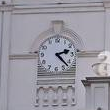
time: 2:22
